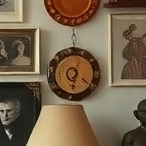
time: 6:03
